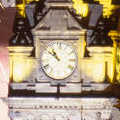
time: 10:51
